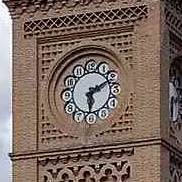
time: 6:11
